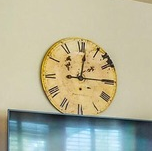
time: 12:14
